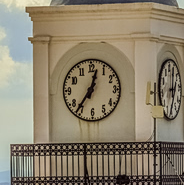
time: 12:36
